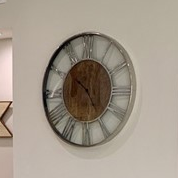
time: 10:24
